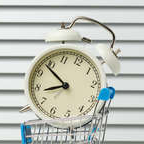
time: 8:53
